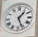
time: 1:26
